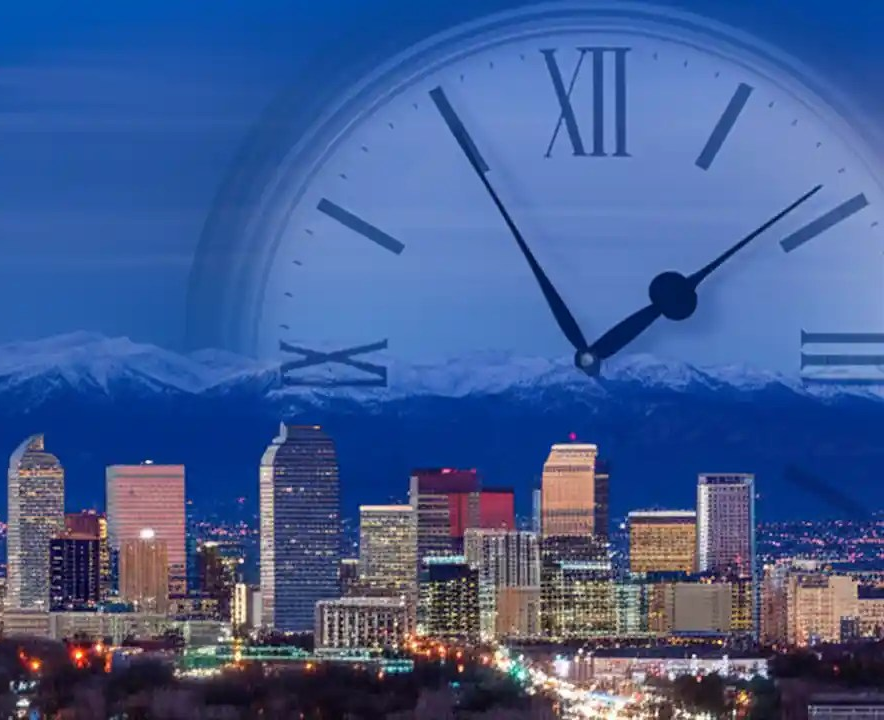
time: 1:55
